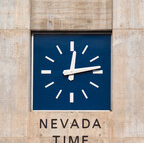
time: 12:13
